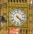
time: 4:22
